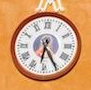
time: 6:25
